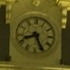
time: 8:25
